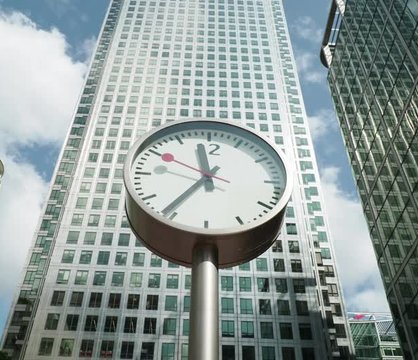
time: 11:36
